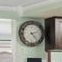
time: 2:23
